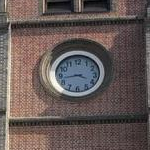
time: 3:43
